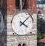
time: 4:07
